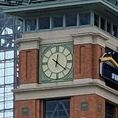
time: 12:21
